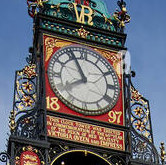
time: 7:55
